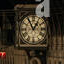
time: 12:55
